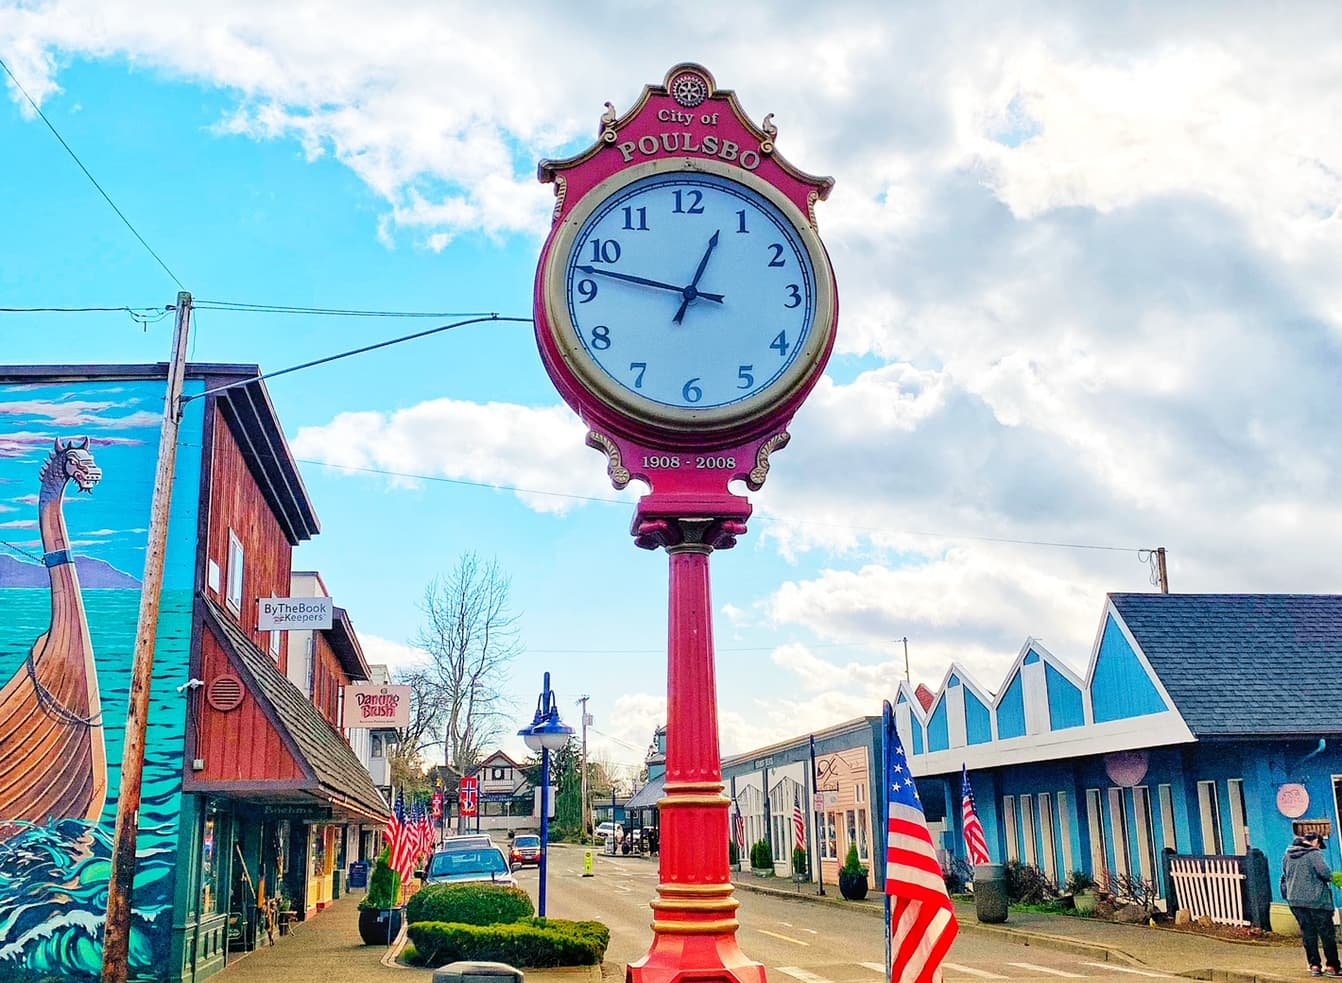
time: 12:47
